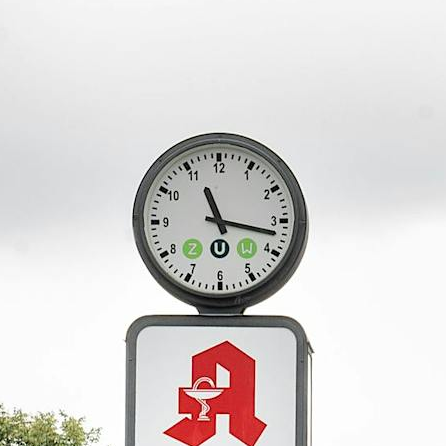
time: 11:16
